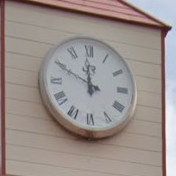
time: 11:49
